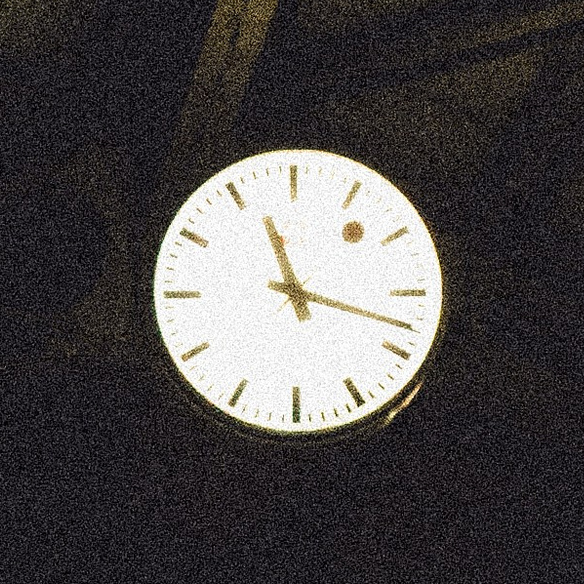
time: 11:17
